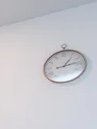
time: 1:12
